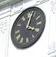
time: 4:03
